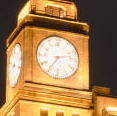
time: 7:12
